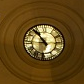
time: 10:53
